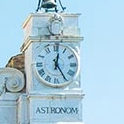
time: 12:24
